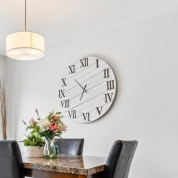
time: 6:53
